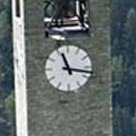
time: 11:16
